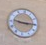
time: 9:15
